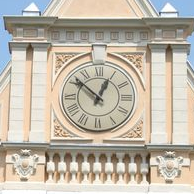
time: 12:51
